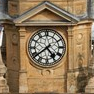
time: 4:38
